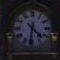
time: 4:31
